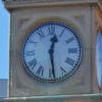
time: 12:28
